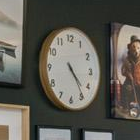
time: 4:23
